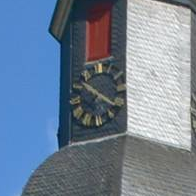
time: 10:20
